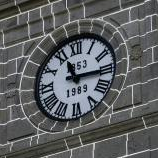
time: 11:15
